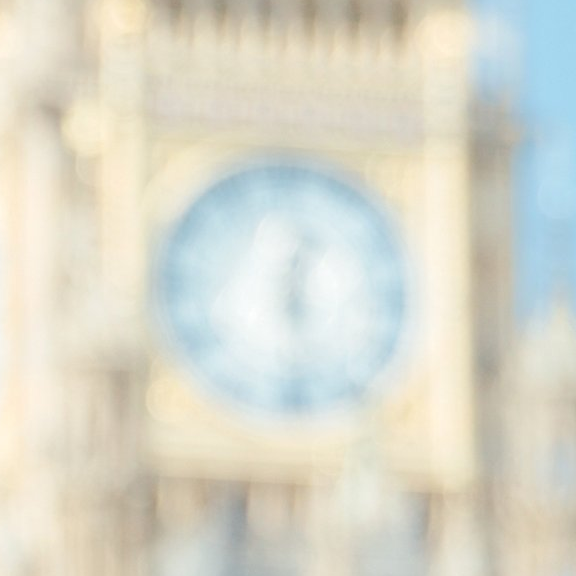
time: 12:28
